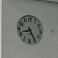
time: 8:24
